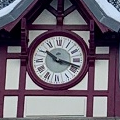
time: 10:17
